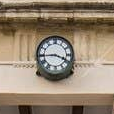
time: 3:44
